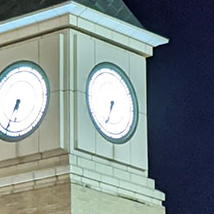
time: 6:33
